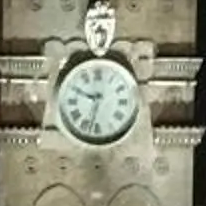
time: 9:32
